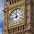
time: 11:42
